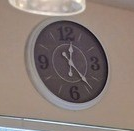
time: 12:24
